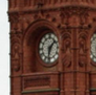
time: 1:32
